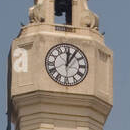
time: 12:05
